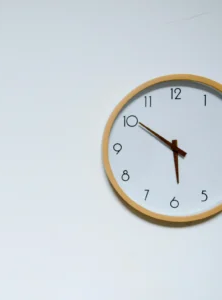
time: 5:50
